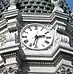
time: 2:32
